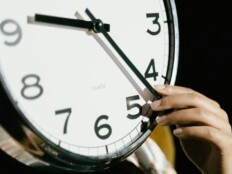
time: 9:22
